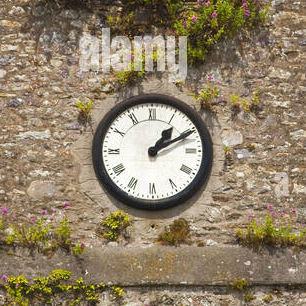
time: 1:10
